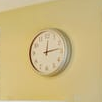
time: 12:13
